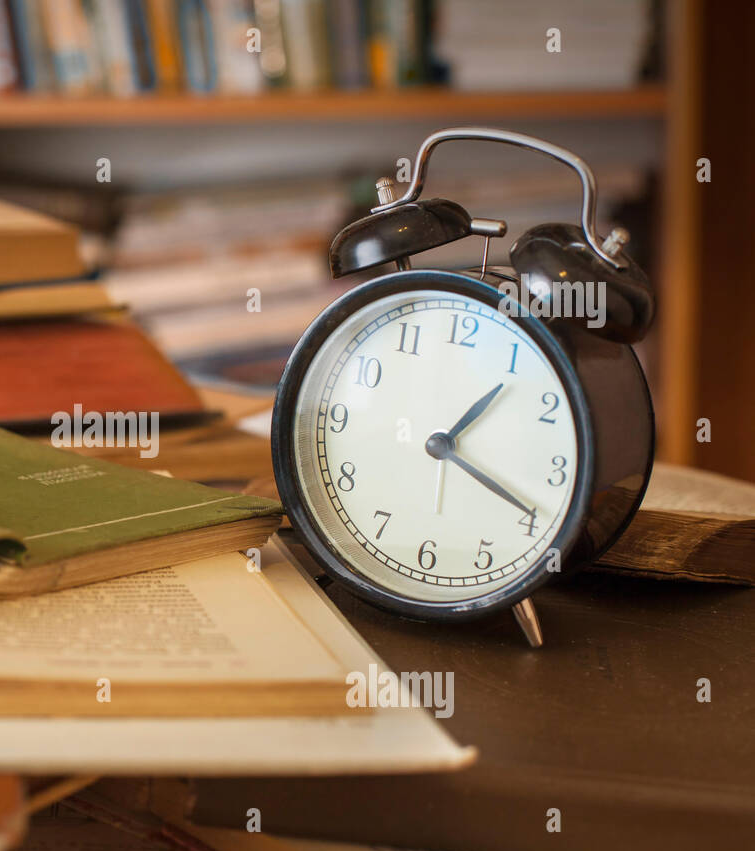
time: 1:19
